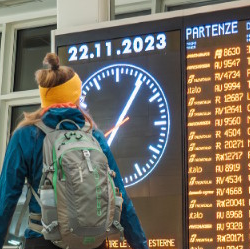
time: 1:05
